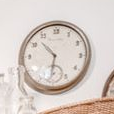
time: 10:31
